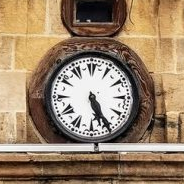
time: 5:24
